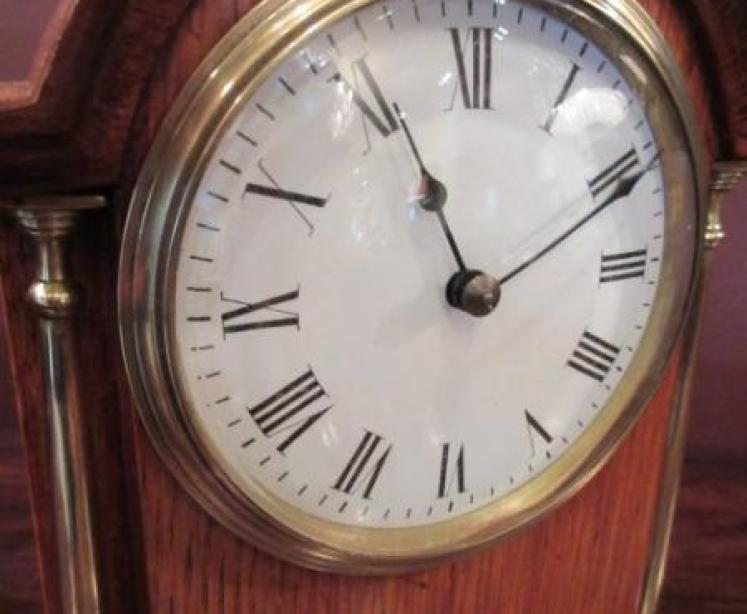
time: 11:10
